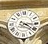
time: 3:20
